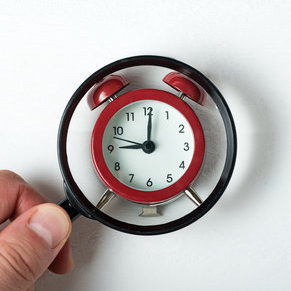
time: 9:00
